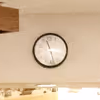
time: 11:28
